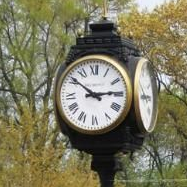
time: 2:51
